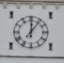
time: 12:06
